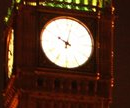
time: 10:01
